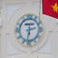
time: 2:32
